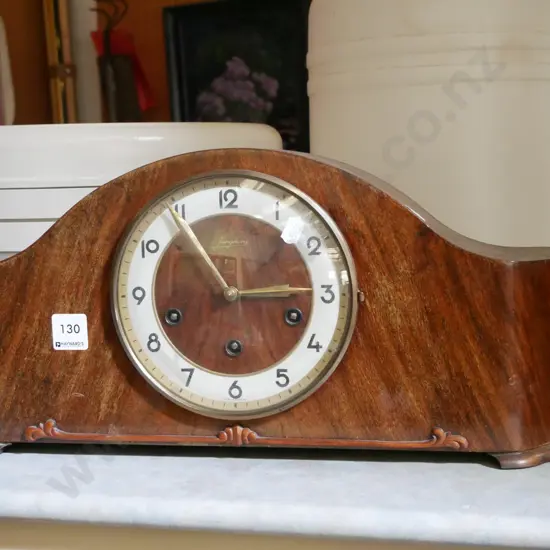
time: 2:54
